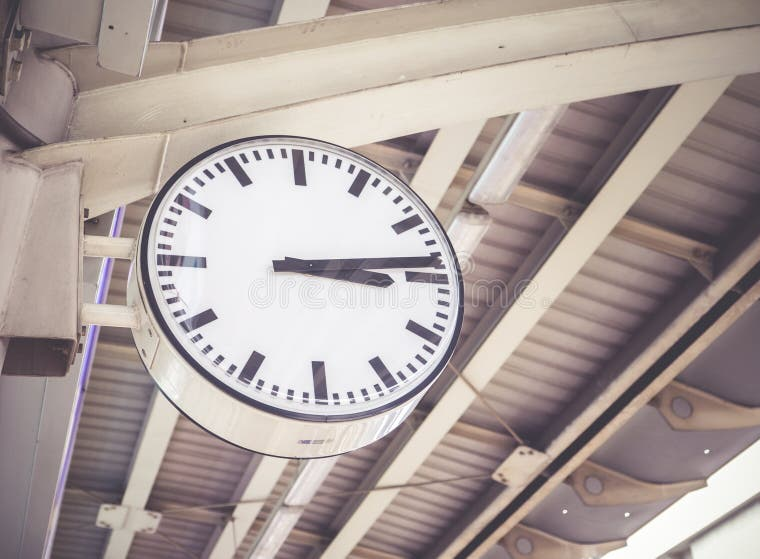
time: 3:13
